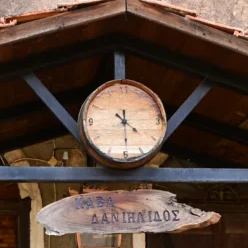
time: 4:29
